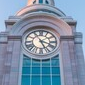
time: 5:18
